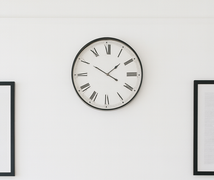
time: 1:50
